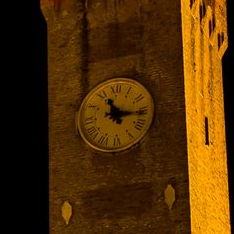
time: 11:15
